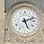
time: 5:11
